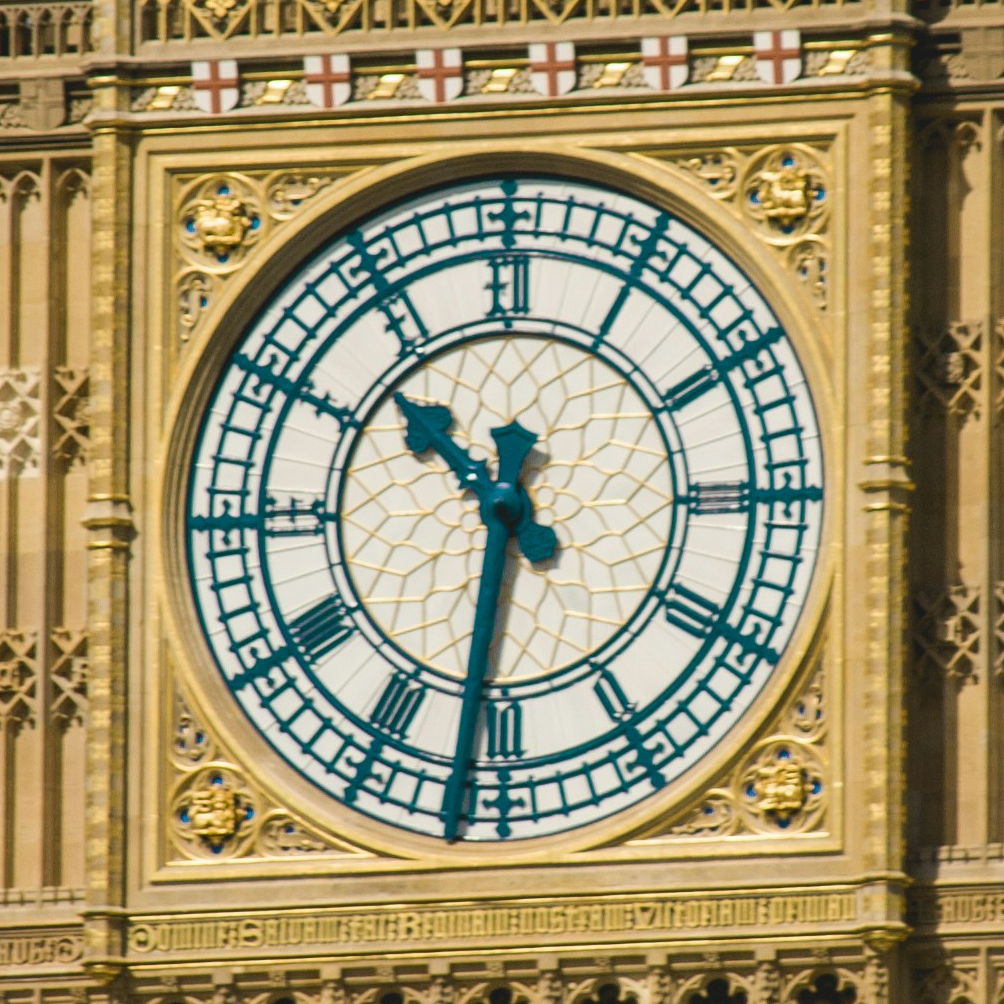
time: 10:31
